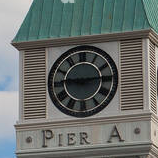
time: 9:14
